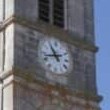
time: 10:42
